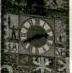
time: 2:40
